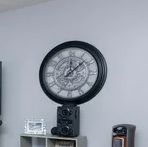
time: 12:07
